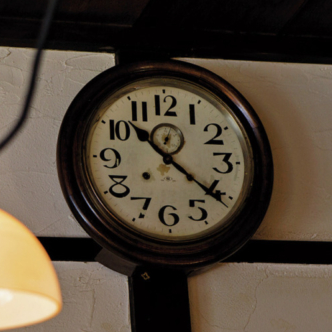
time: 10:21
